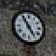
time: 4:54
